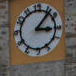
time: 3:06
